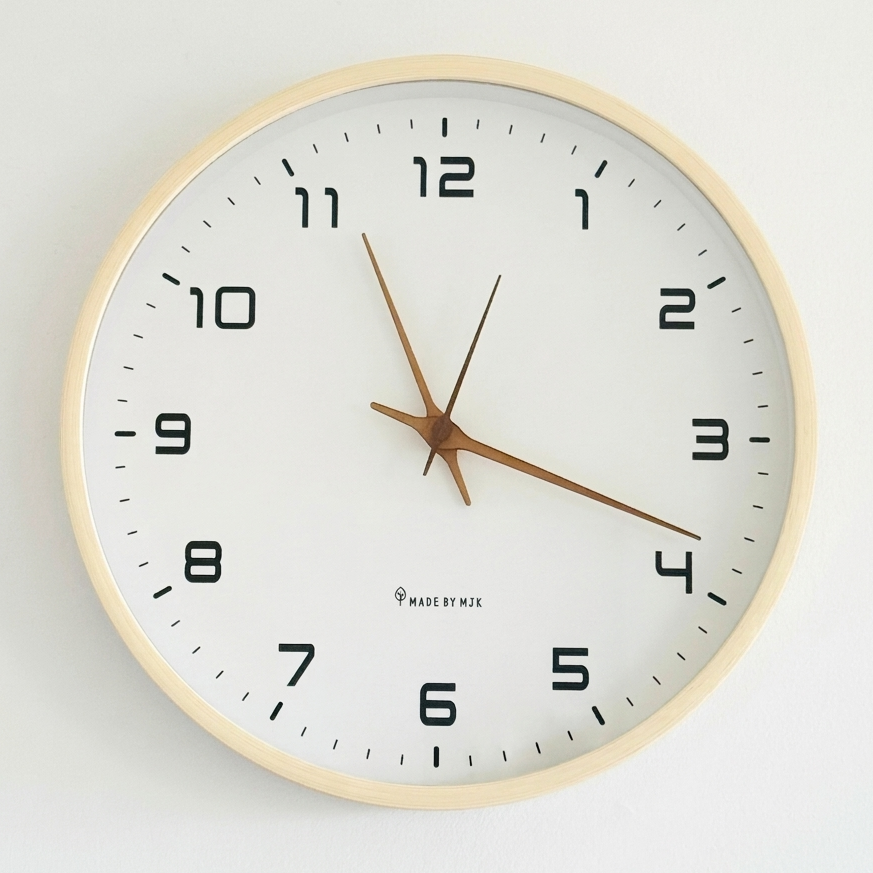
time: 11:18
